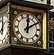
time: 12:09
